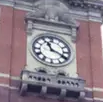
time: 11:19
